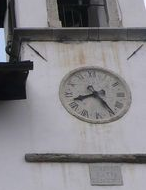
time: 8:24
